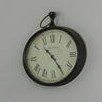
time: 10:24
